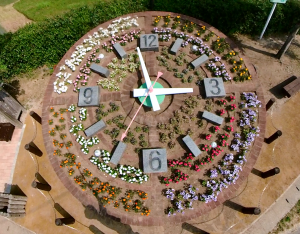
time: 2:58
